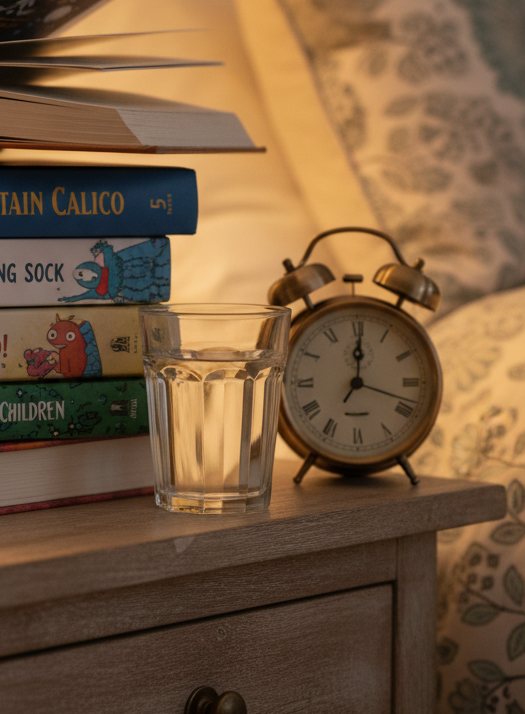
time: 12:18
